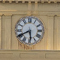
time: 5:40
